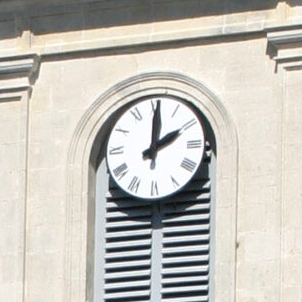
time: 2:00
